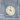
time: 4:00
